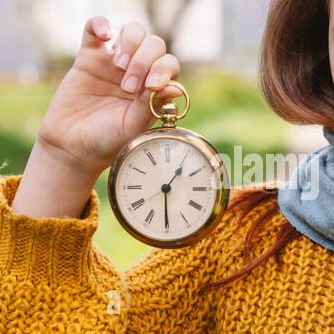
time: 1:29
